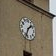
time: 1:33
